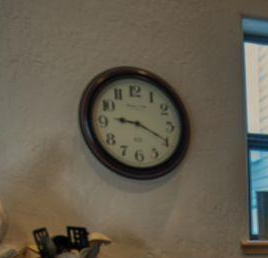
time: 9:19
